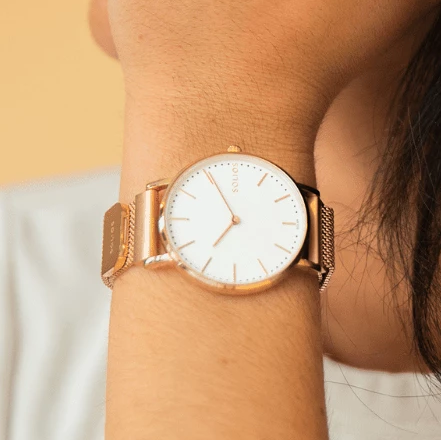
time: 6:55
